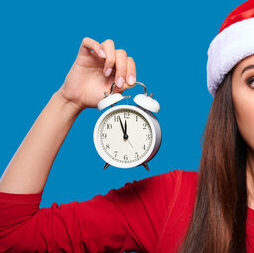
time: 11:56
